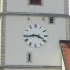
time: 3:43
